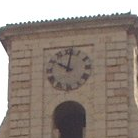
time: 10:01
